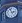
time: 2:56
